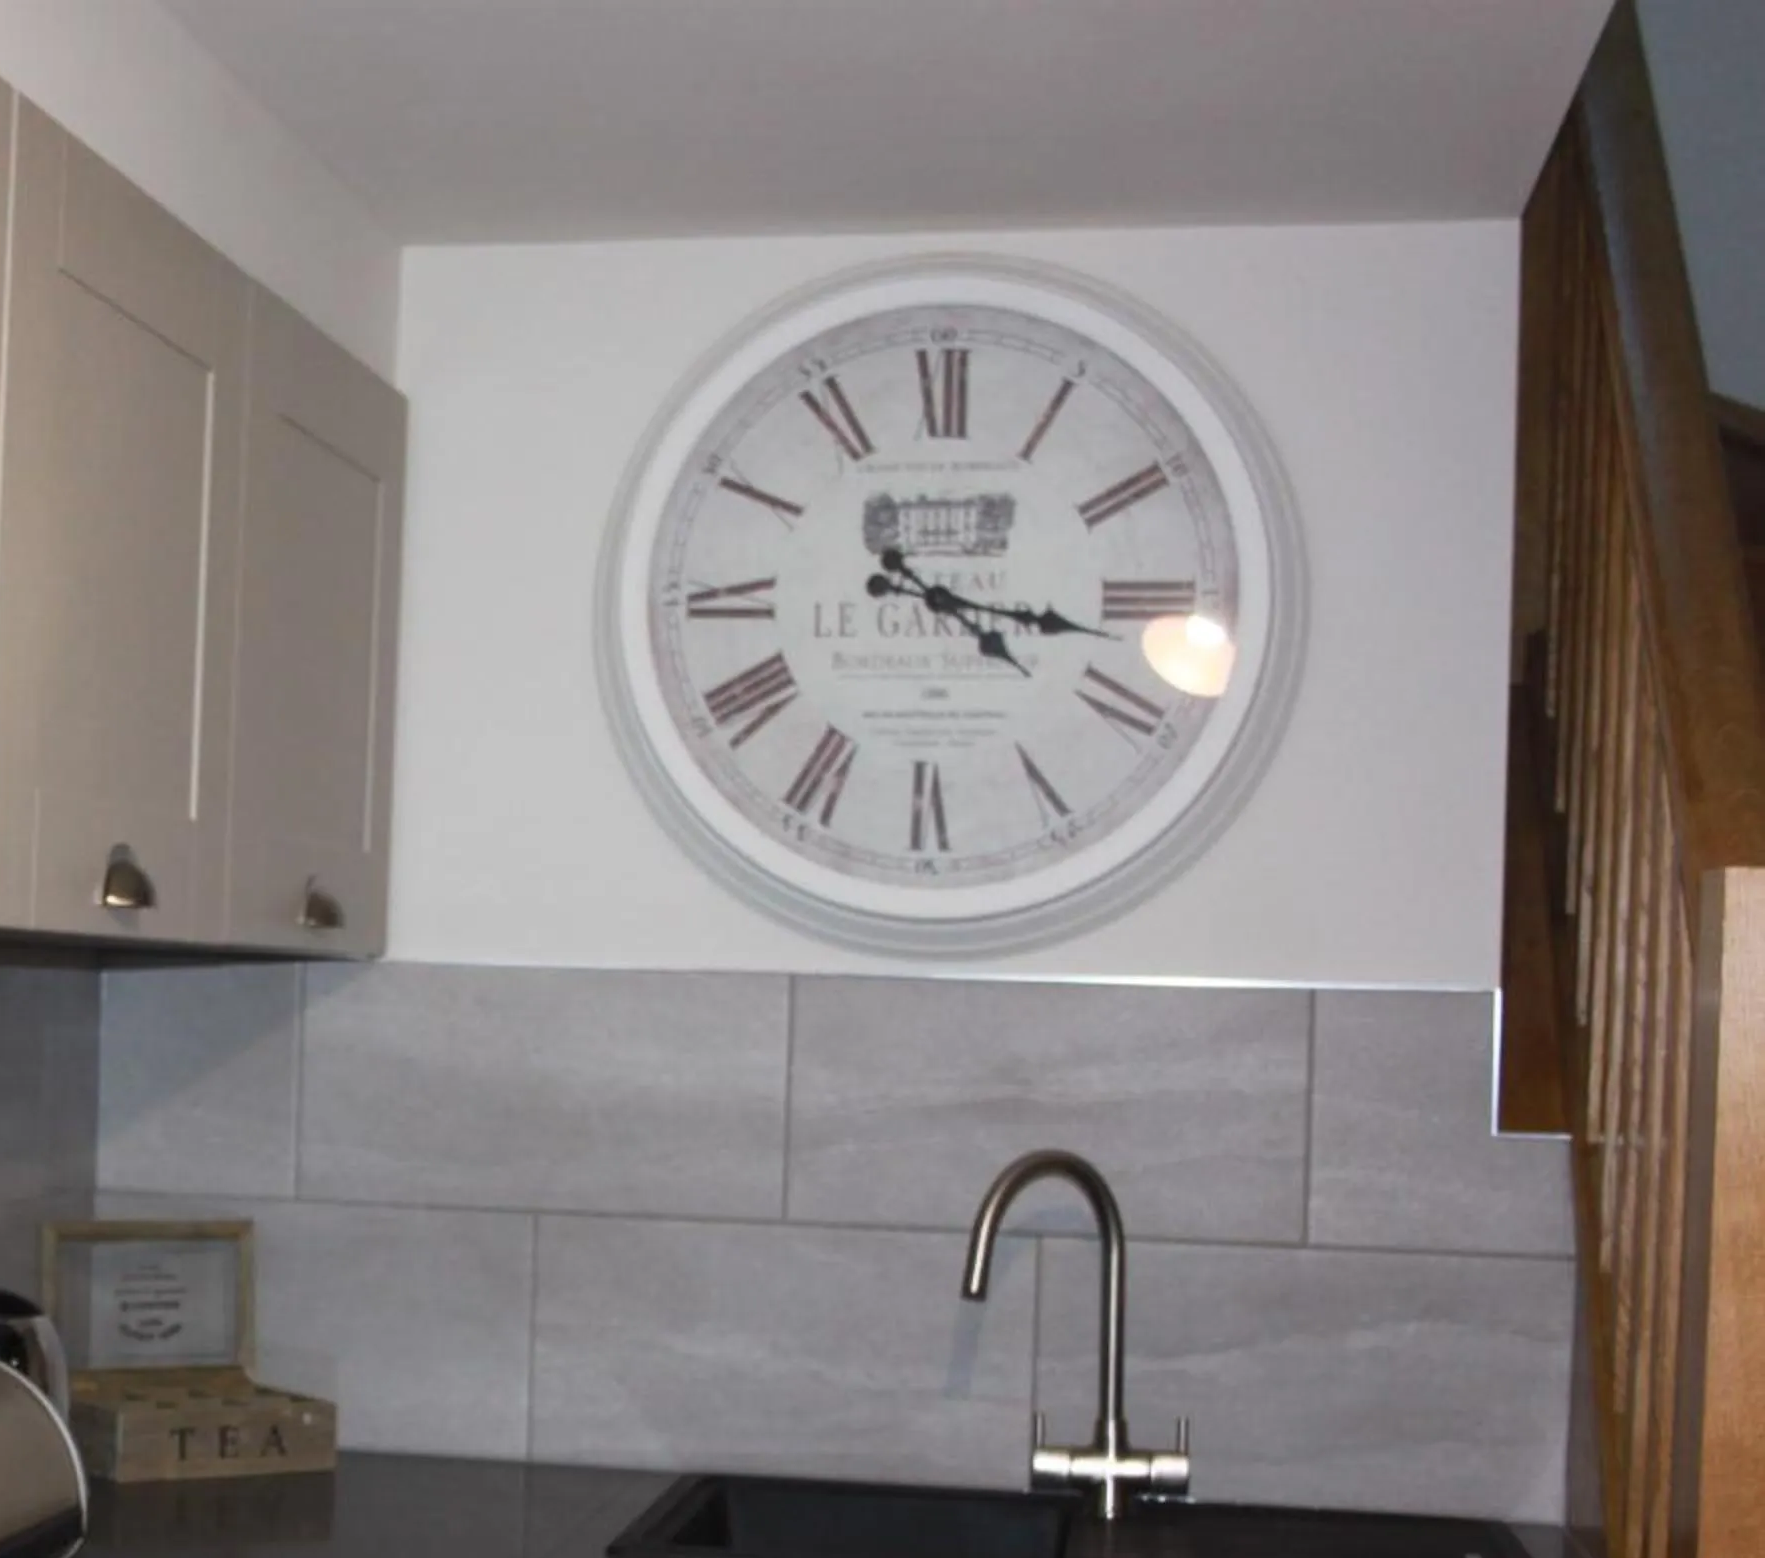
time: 4:16
